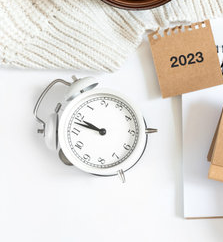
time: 9:47
